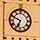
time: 6:49
